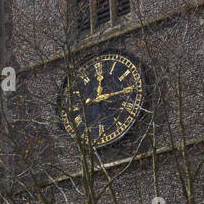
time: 12:14
